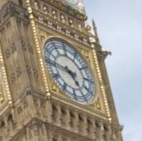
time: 4:46
